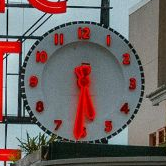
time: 5:30
